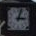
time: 3:02
